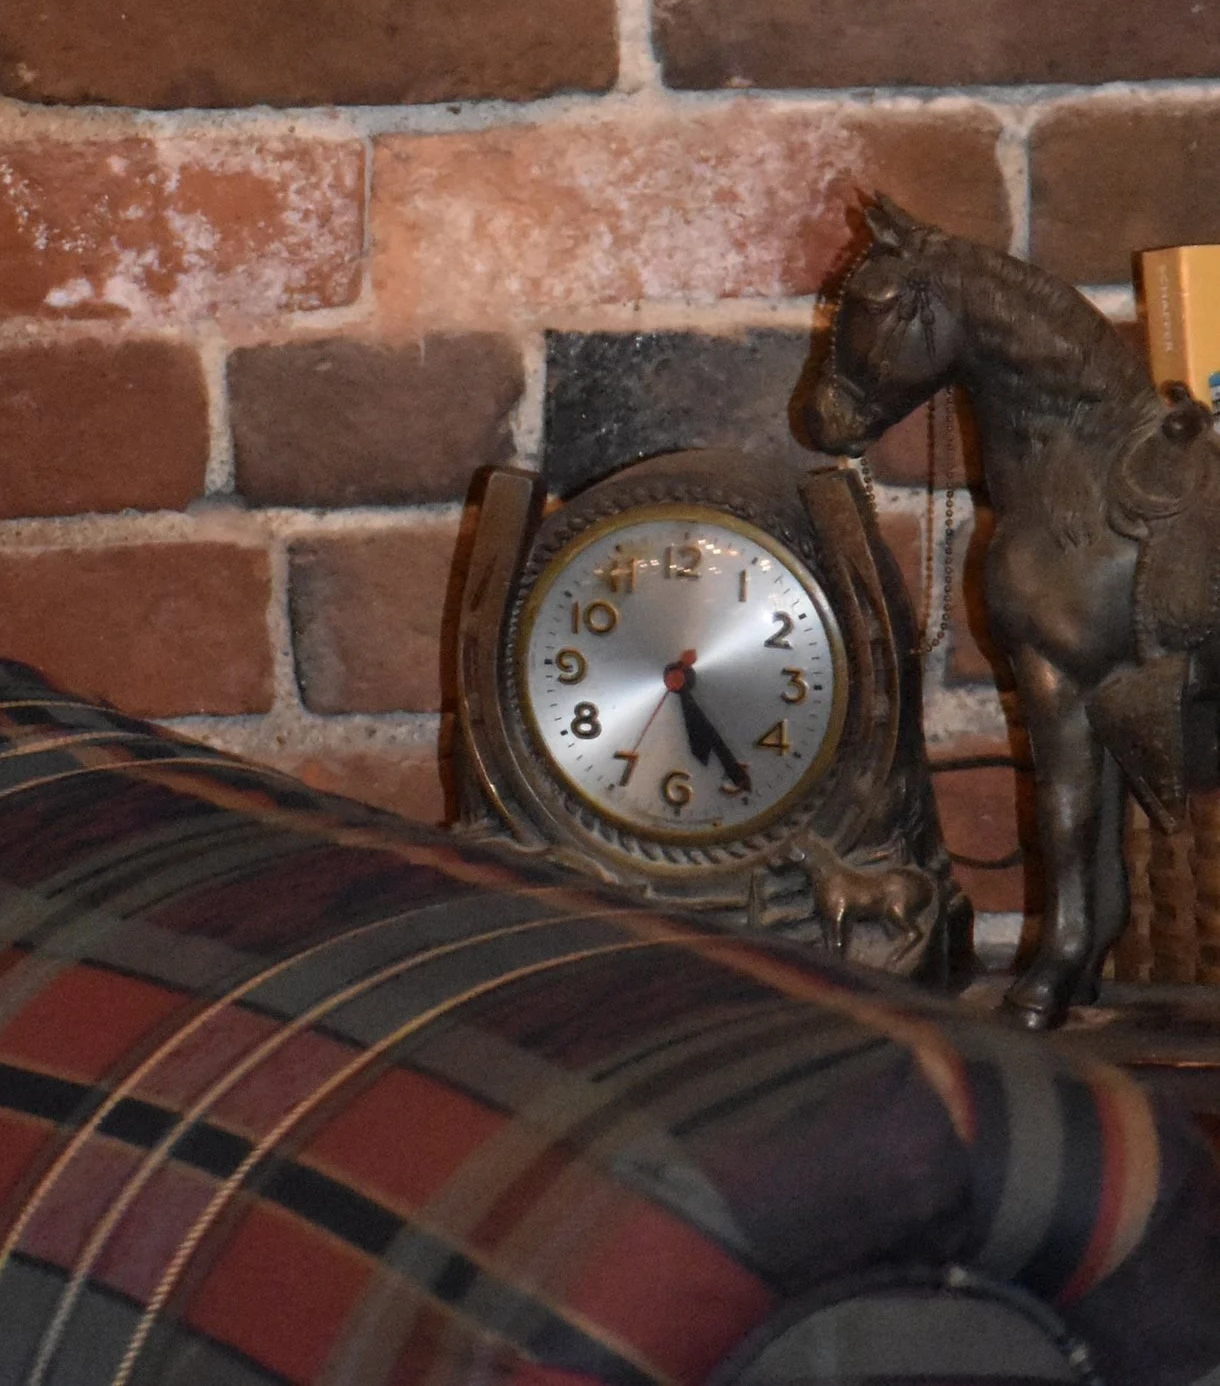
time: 5:24
